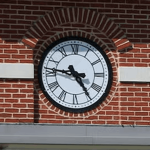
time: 4:46
